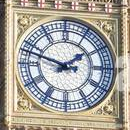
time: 1:47
